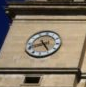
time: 8:24
